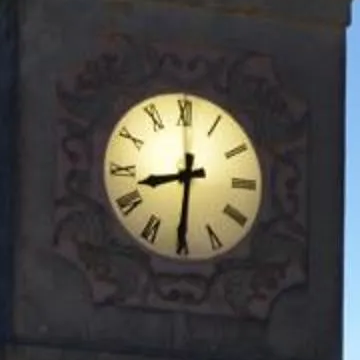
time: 8:30
